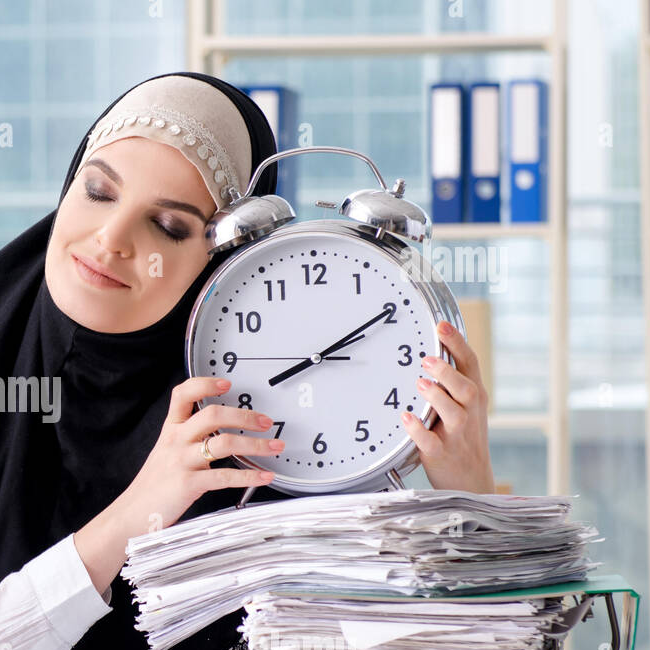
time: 8:09
